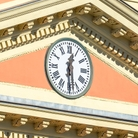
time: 12:29
